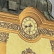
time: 8:32
